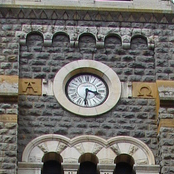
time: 3:31
